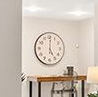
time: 5:00
